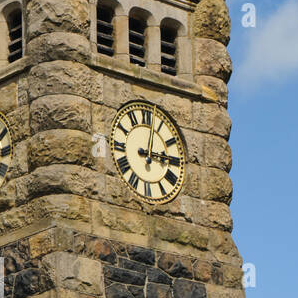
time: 3:02
